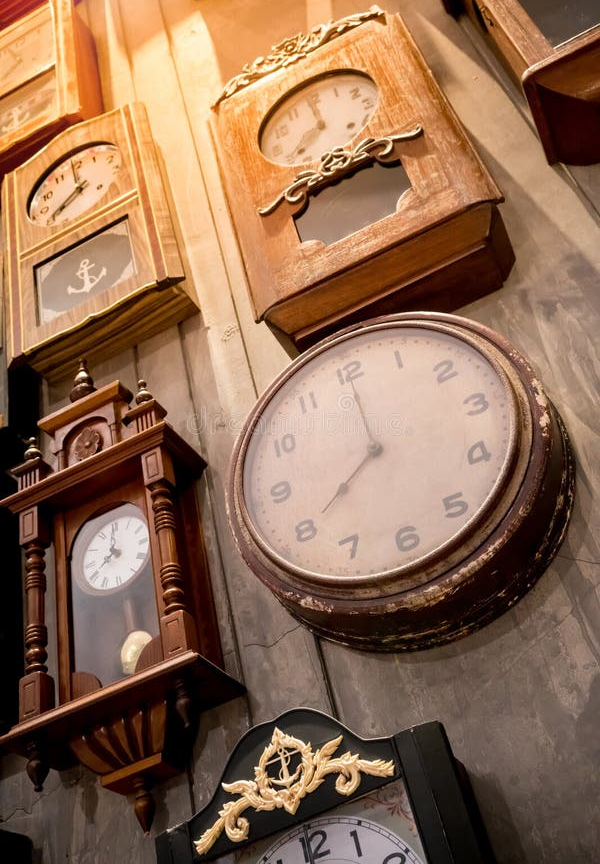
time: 7:59
